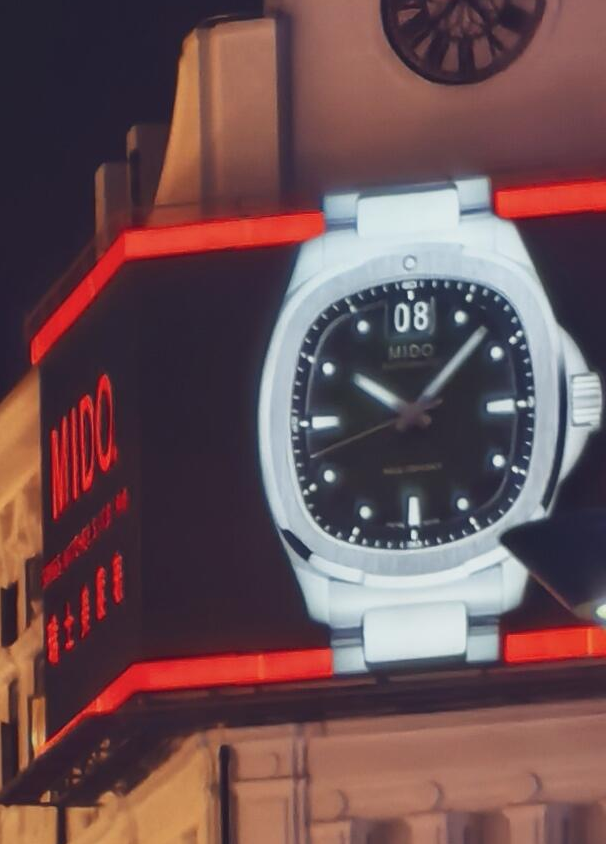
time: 10:07
